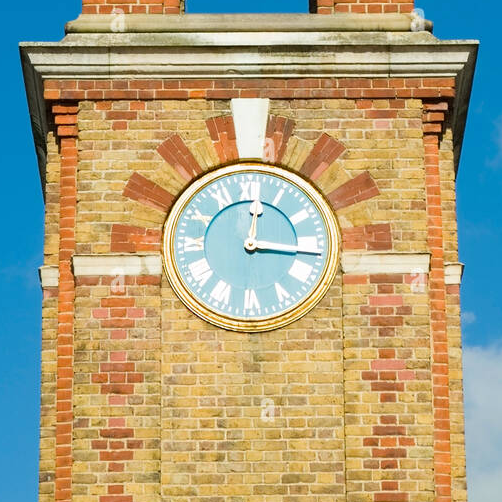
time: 12:16
